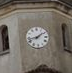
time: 1:42
